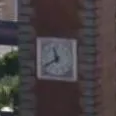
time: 11:39
